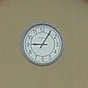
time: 9:05
